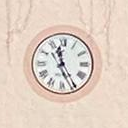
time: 11:25
